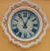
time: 11:04
